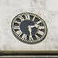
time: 2:29
